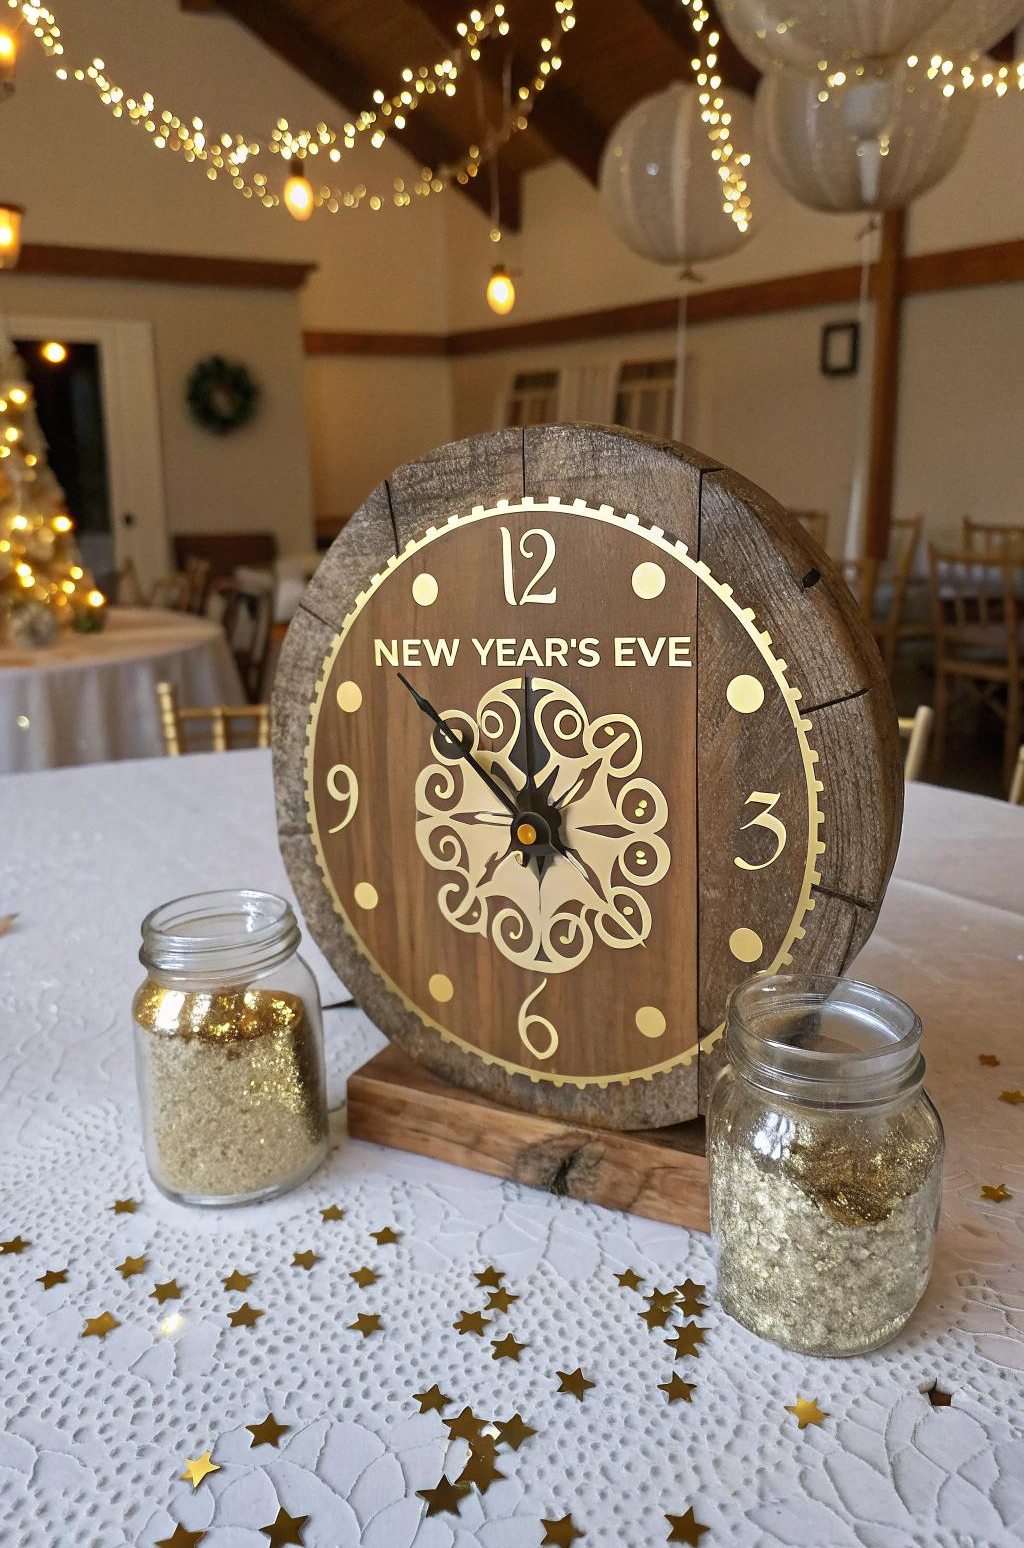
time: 11:51
